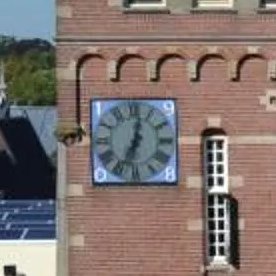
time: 7:02
